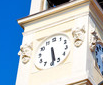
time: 5:28
